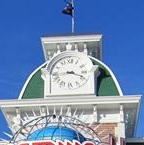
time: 3:43
